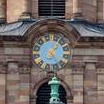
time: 1:24
